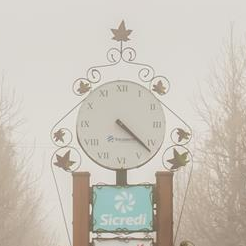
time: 4:21
